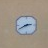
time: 2:40
